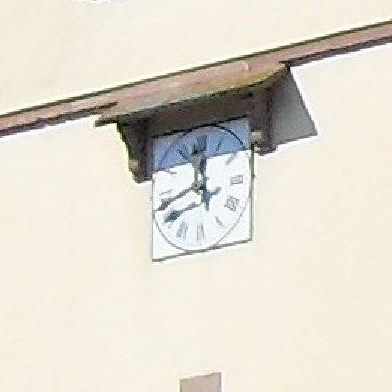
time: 11:41
